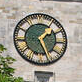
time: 1:26
